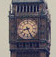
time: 8:26
